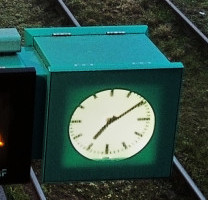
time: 7:09
